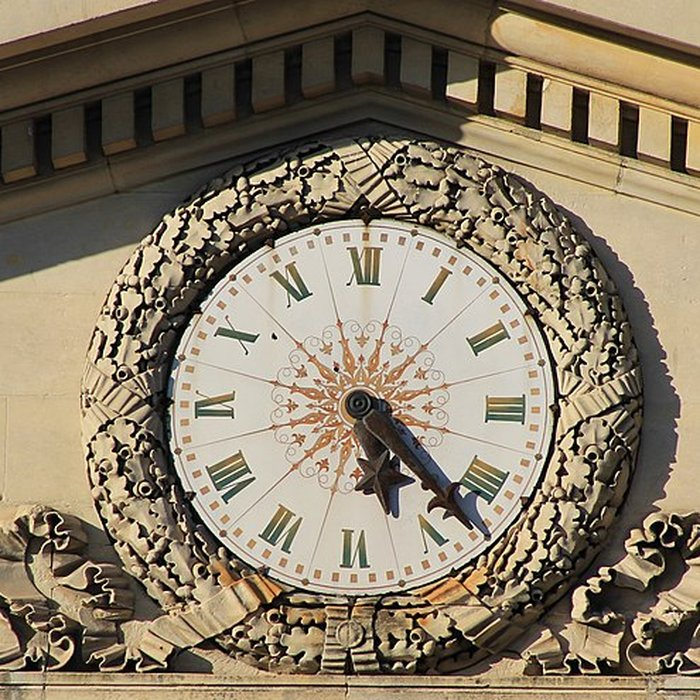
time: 5:22
